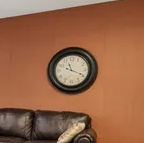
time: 11:19
